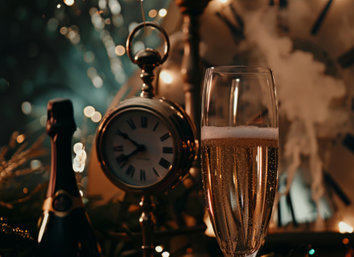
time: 7:50
